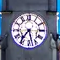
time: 5:36
